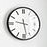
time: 9:28
